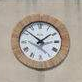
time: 1:51
